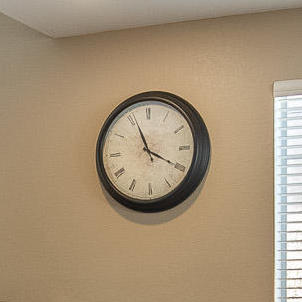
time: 11:19
